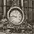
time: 9:44
